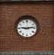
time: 9:13
